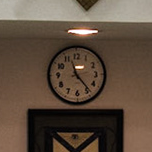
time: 11:23
